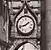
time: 1:42
